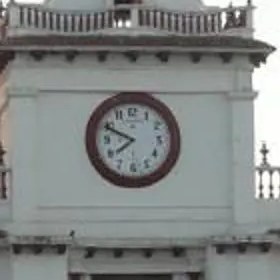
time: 7:49
